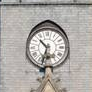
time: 10:32
